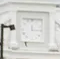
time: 12:14
